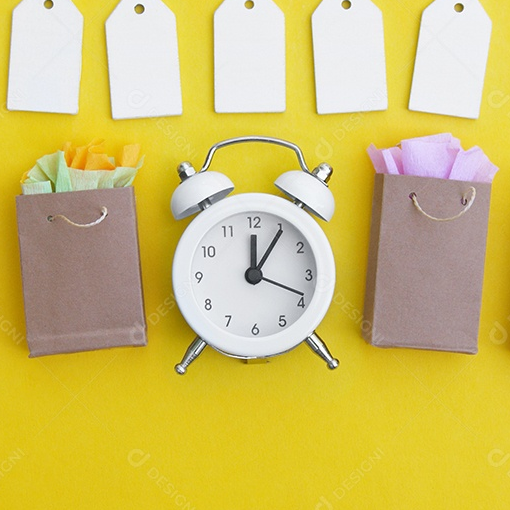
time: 12:05
